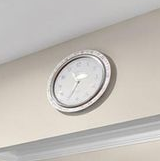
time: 2:34
